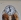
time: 11:37
